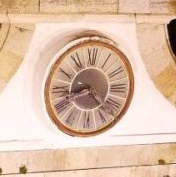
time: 8:23
